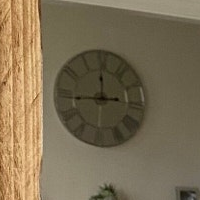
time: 11:43
